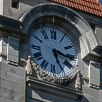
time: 5:16
